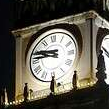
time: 9:45
